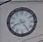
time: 8:24
